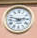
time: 2:47
